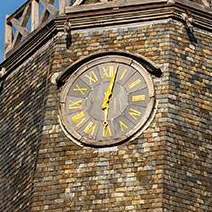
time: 6:02
